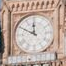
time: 11:49
